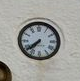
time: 7:38
